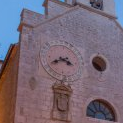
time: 3:40
